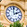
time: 1:59
